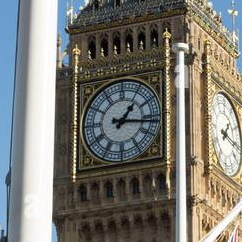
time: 1:16
